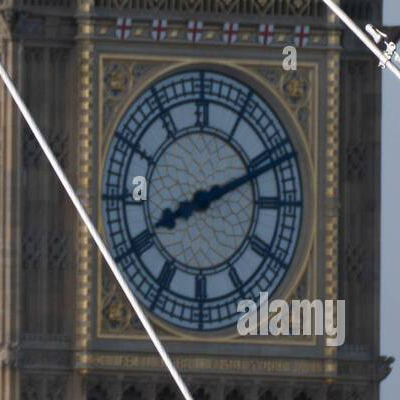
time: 8:11
